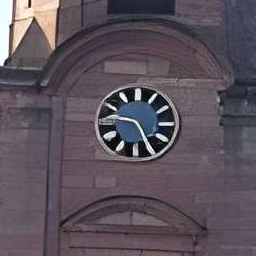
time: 9:25
